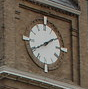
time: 1:39
